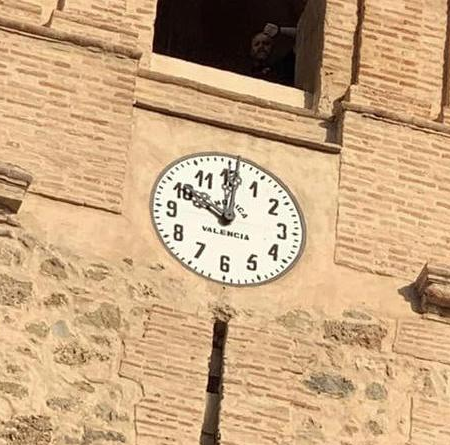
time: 10:00
